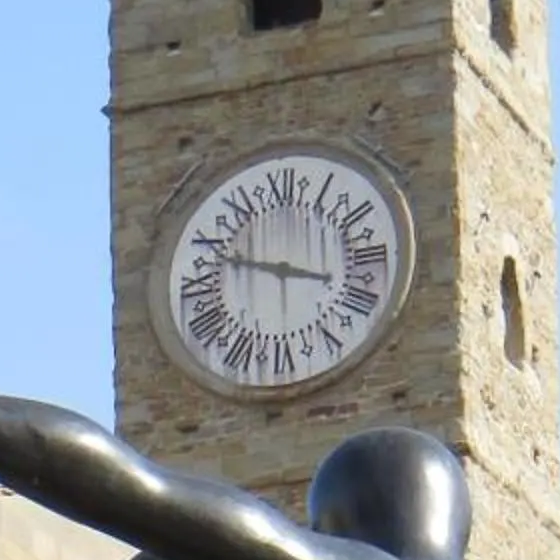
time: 3:48
